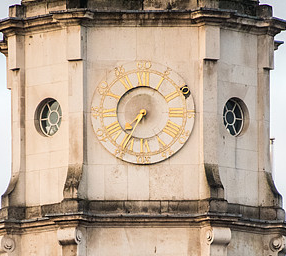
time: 7:35
